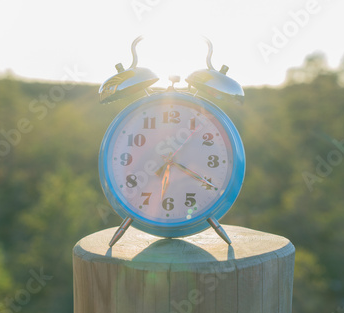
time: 6:19
